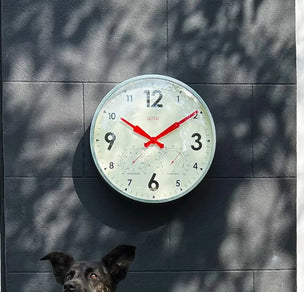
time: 10:09
